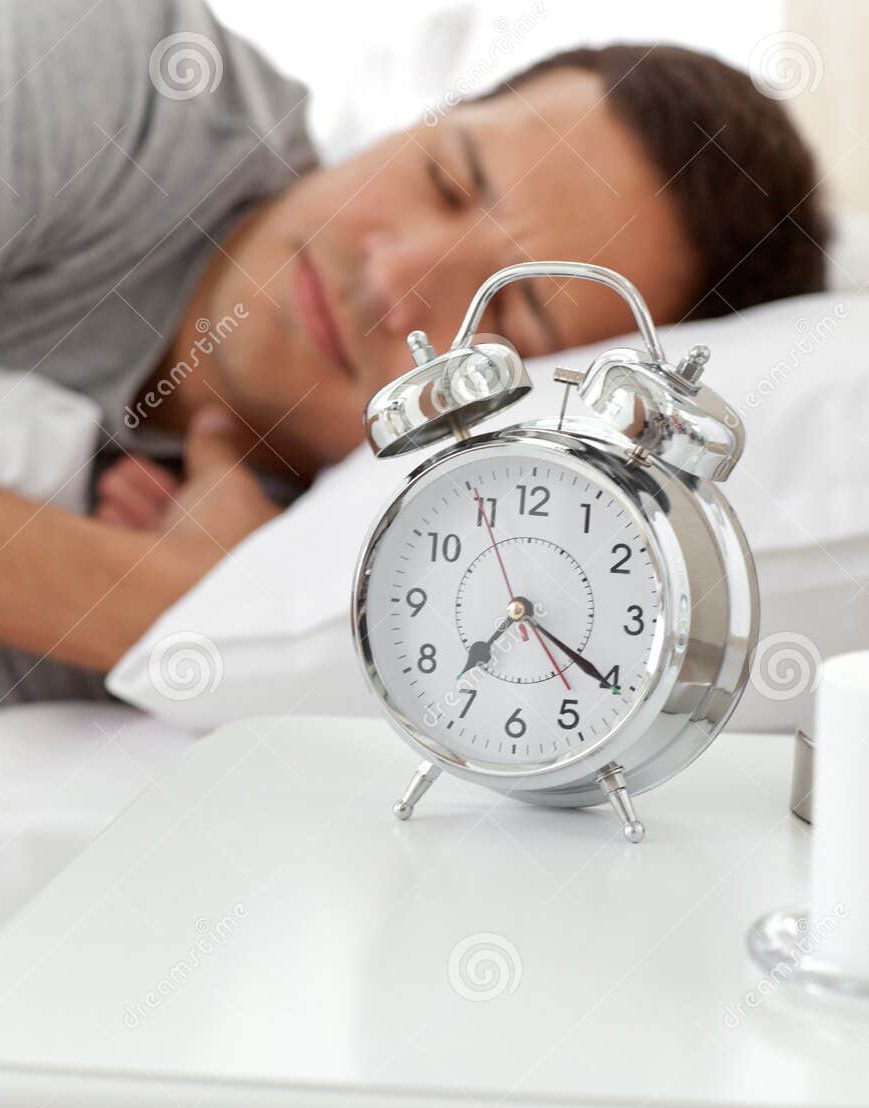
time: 7:20
